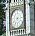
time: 7:14
